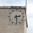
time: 2:29
